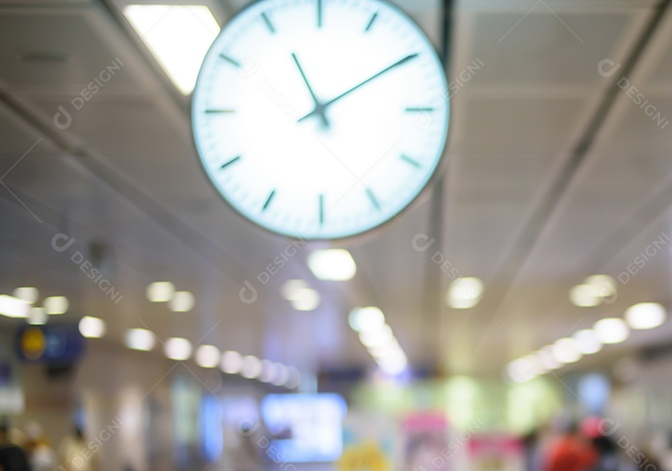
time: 11:09
